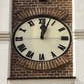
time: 12:02
